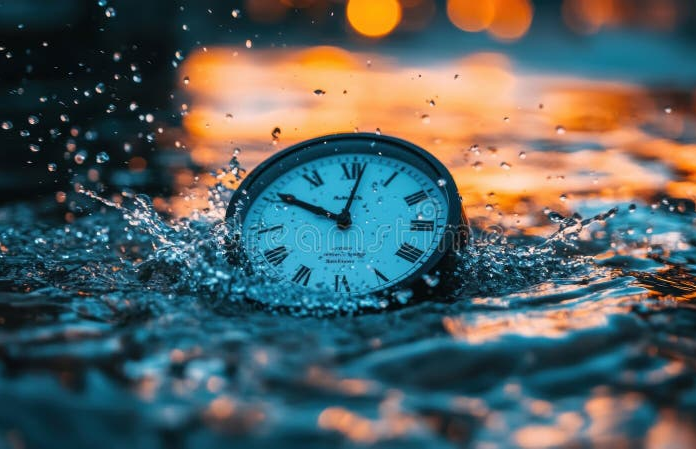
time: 10:01
